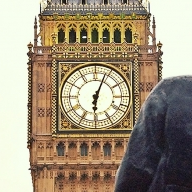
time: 6:03
